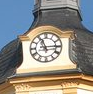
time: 11:14
